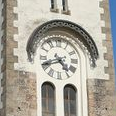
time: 4:42
